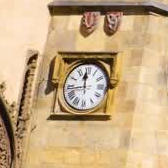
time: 11:43
